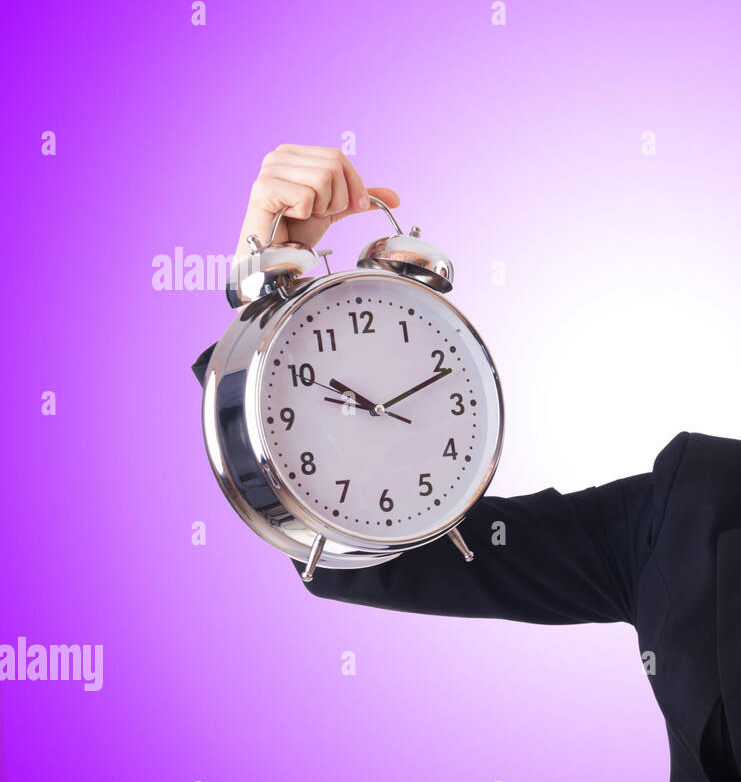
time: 10:11
